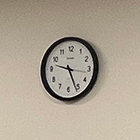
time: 9:26
